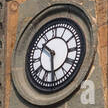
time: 10:30
